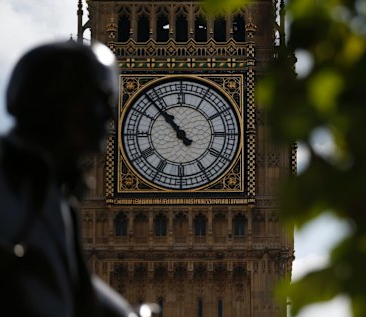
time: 10:52
